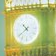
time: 10:39
